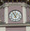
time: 12:55
